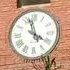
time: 3:57
